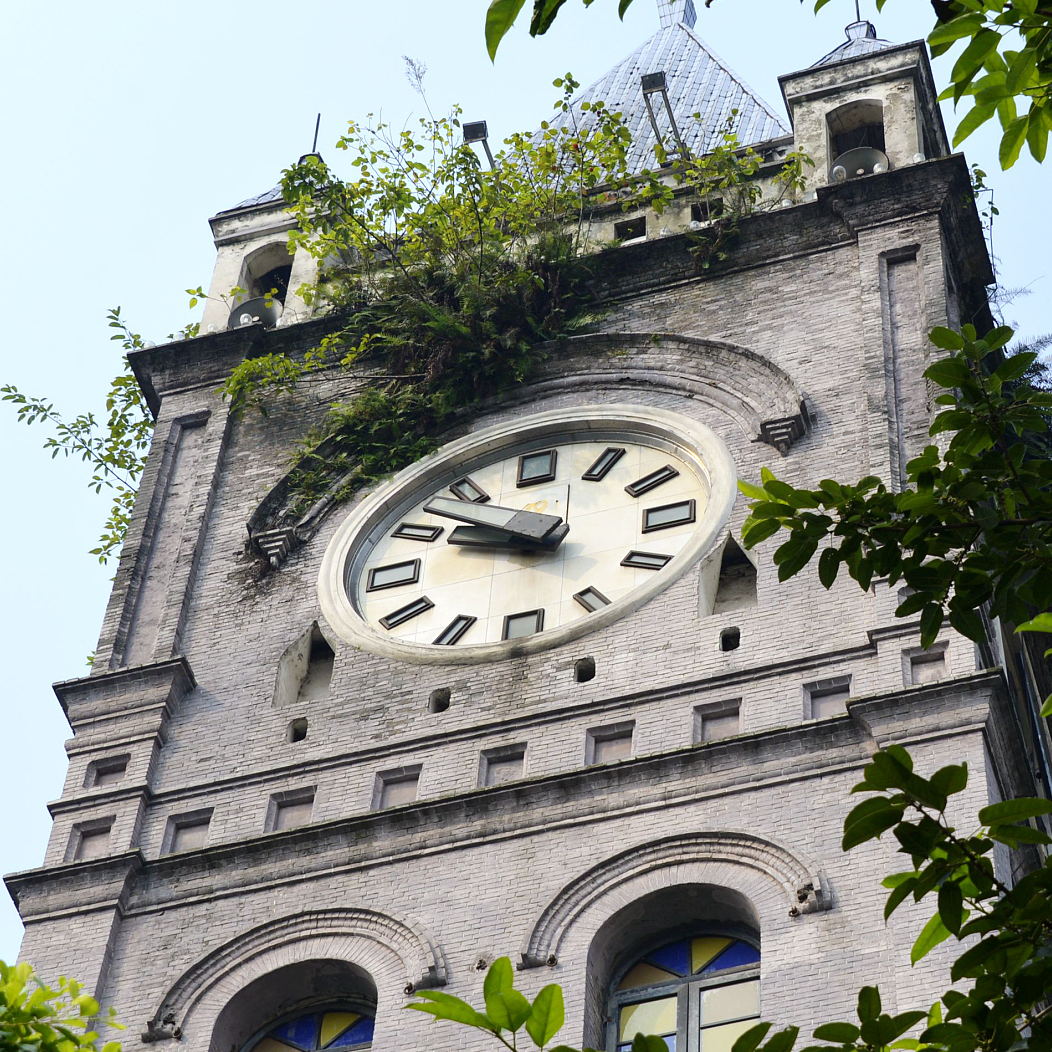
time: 9:51
